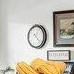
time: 4:22
